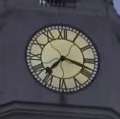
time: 7:18
